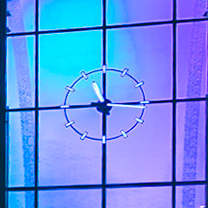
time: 11:29
